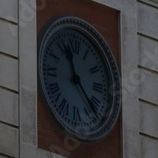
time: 11:22
